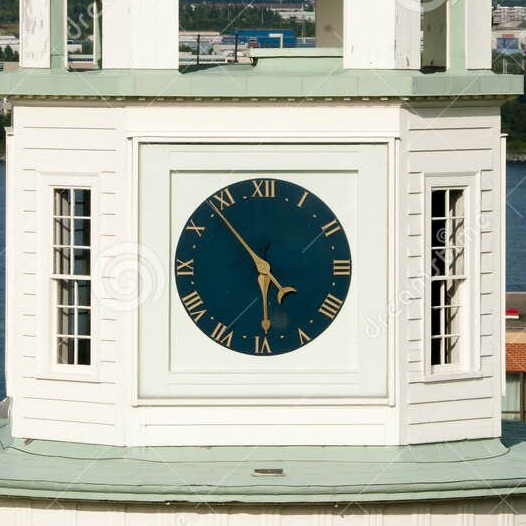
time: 5:53
